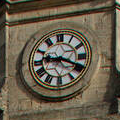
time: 9:18
